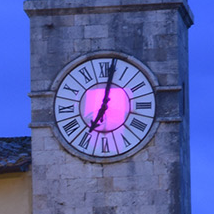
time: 7:01
